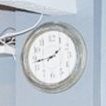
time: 1:43
